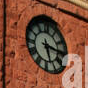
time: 5:15
